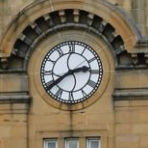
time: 2:39
